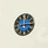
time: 8:14
